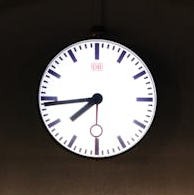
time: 7:43
